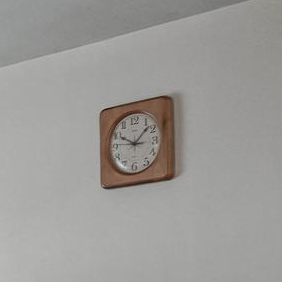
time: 10:07
